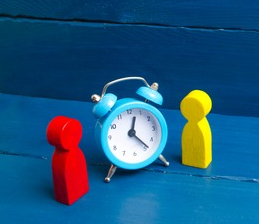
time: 12:23
